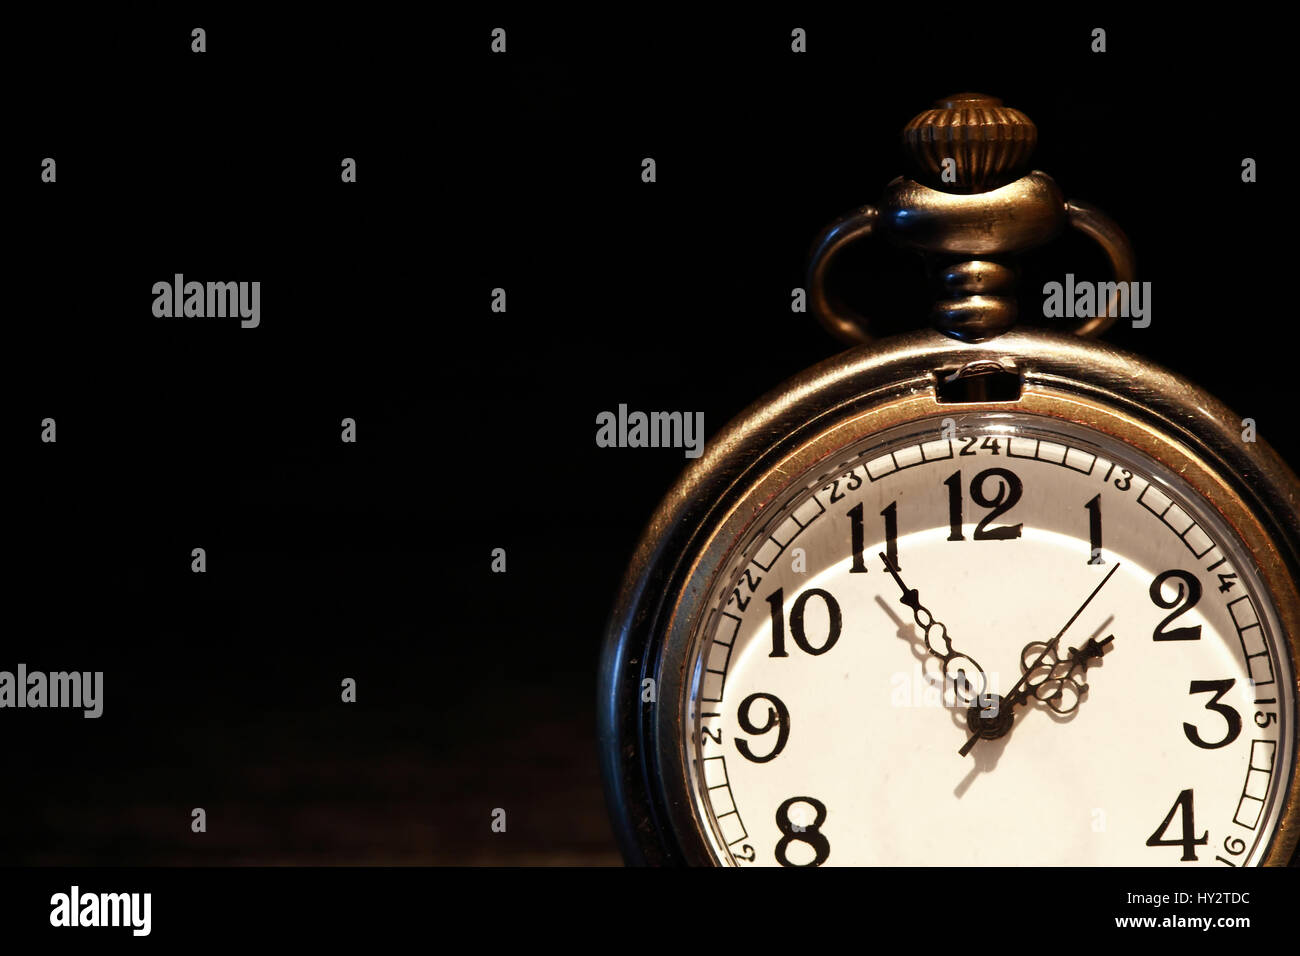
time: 1:55
